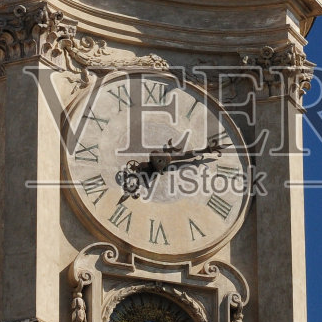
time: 7:11
